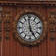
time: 4:59
